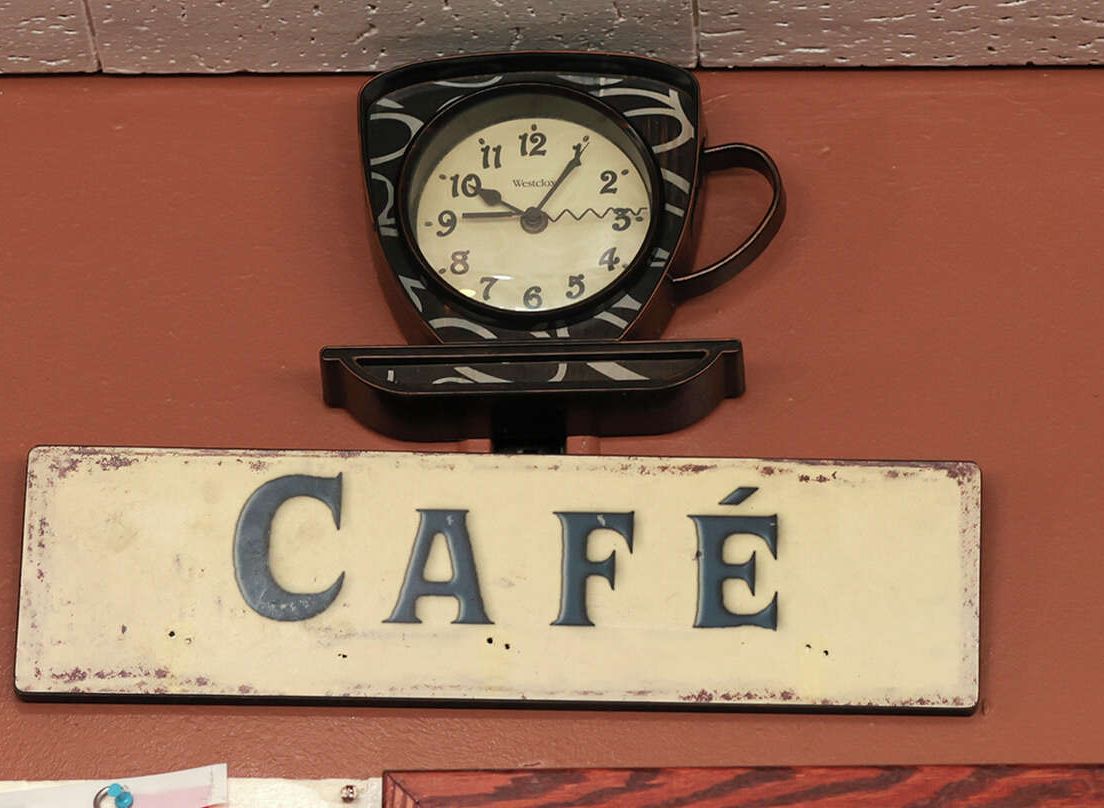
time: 10:05
